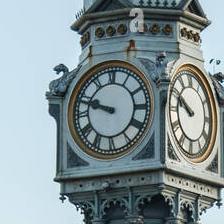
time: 9:48
